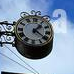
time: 1:20
